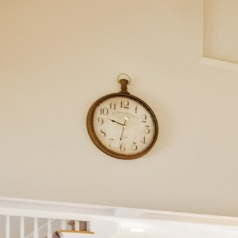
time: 9:31
